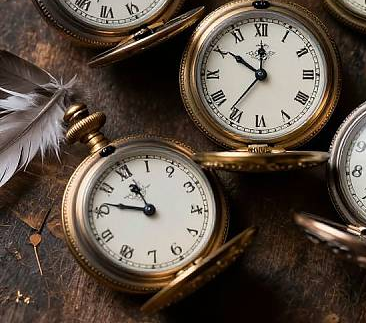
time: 10:46
